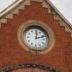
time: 12:11
